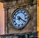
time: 8:19
